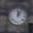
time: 12:05
